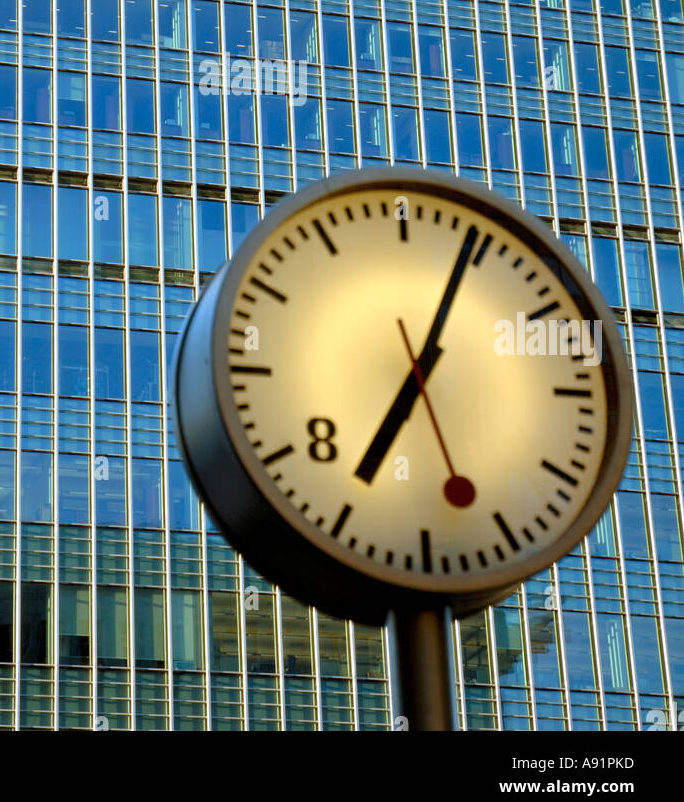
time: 7:04
